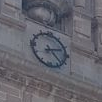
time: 2:22
